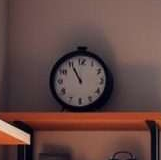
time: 10:55
